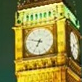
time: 6:48
